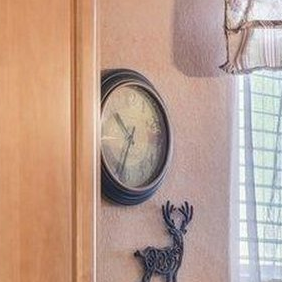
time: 10:34
